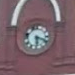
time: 6:18
